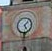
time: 5:06
